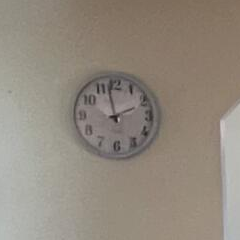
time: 1:57
